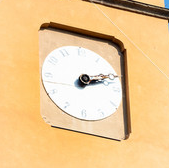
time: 2:12
